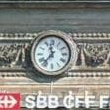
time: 11:36
